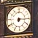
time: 6:14
